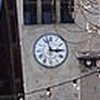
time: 2:57
